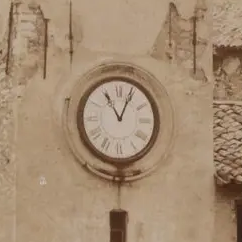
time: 11:04
